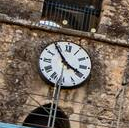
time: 3:54
